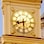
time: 8:29
